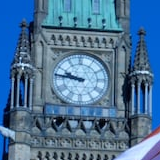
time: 9:46
